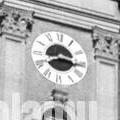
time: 8:16
